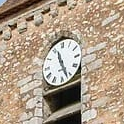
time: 11:26
